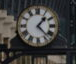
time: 1:22
